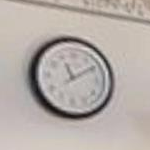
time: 11:09
